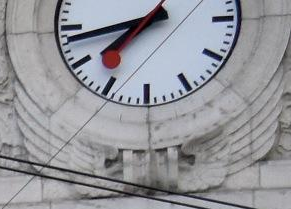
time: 7:43
